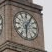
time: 6:05
